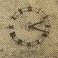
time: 2:18
